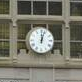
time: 12:03
